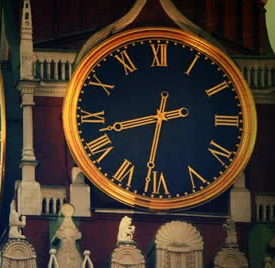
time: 8:31
